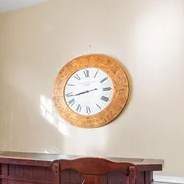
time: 8:43
